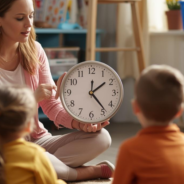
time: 12:23
